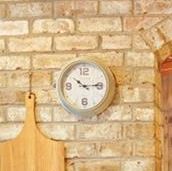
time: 10:14
